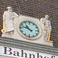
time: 10:47
